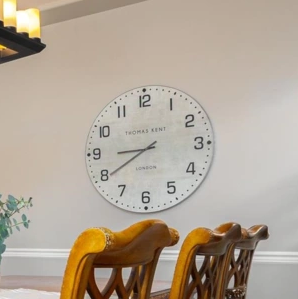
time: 8:39
